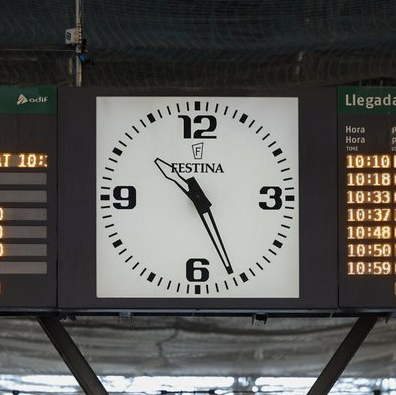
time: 10:26
